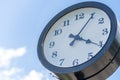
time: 4:05
